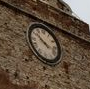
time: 10:17
